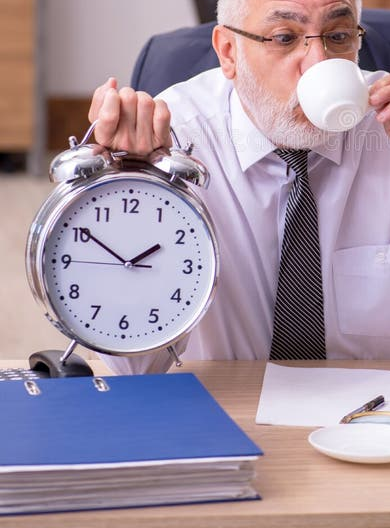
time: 1:50
